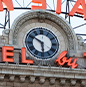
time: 5:50
